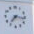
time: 7:16
